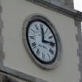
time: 12:14
